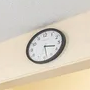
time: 3:28
